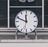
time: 11:48
